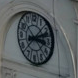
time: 3:11
